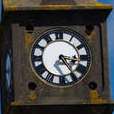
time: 3:24
